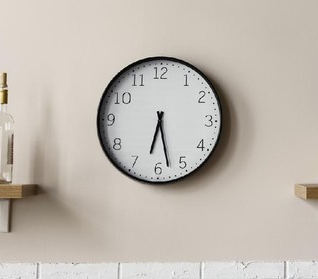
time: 6:27
